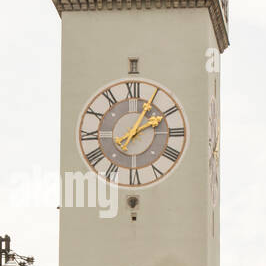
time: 2:05
